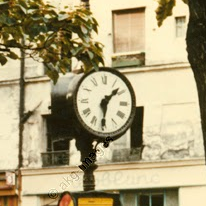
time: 1:30
